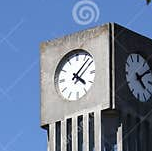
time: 4:07
